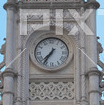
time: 7:35
